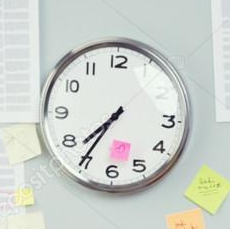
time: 7:35
